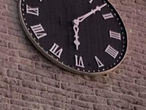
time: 6:07
